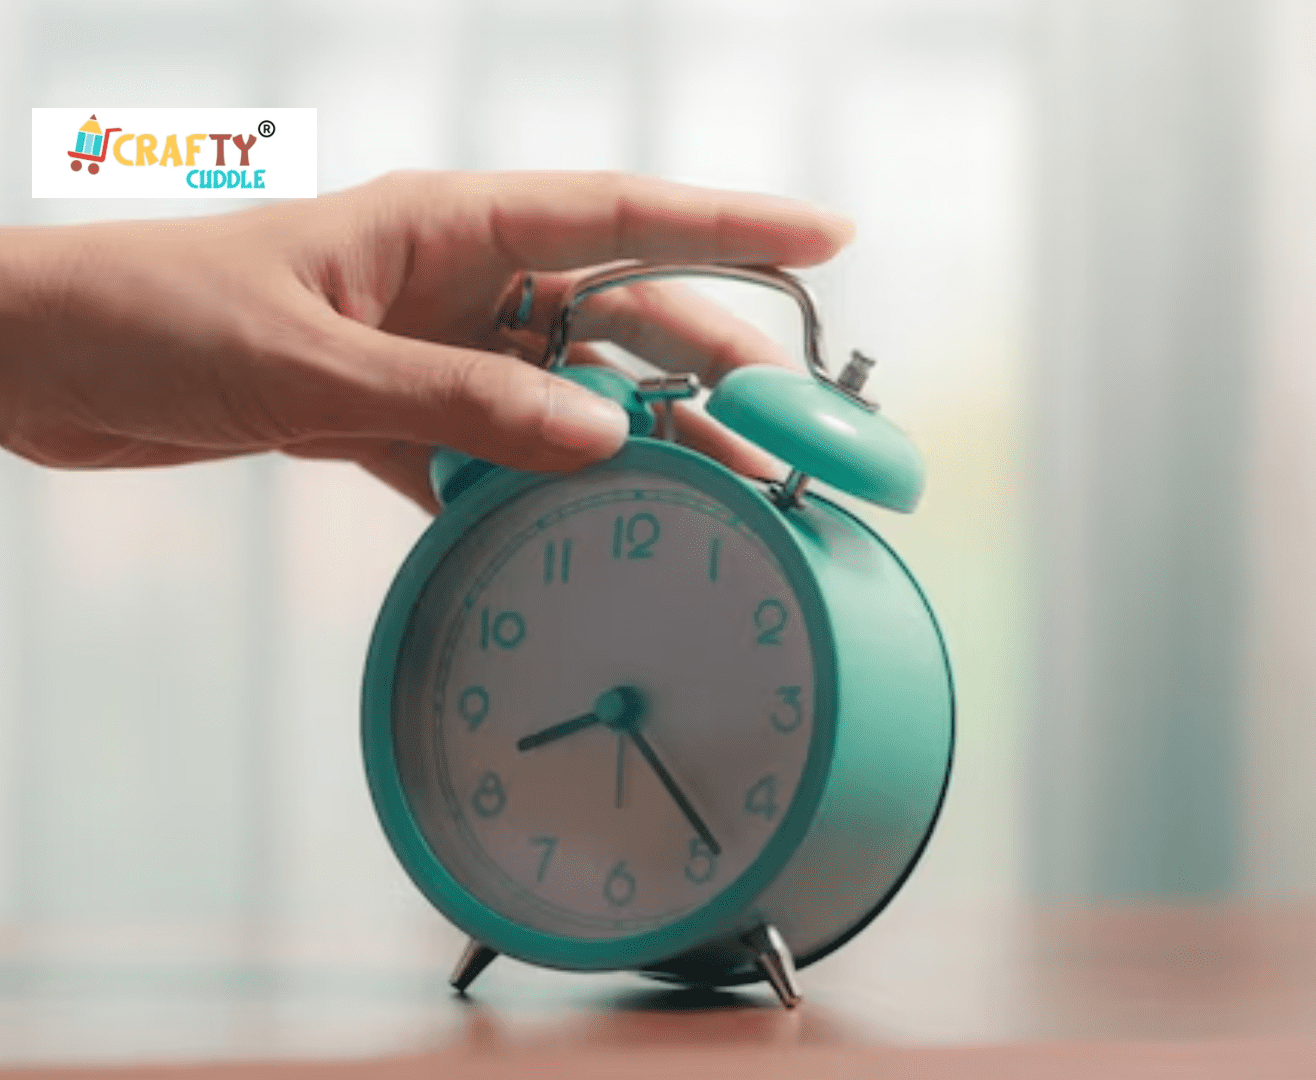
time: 8:23
